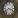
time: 3:38
